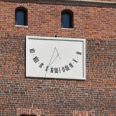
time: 5:32
